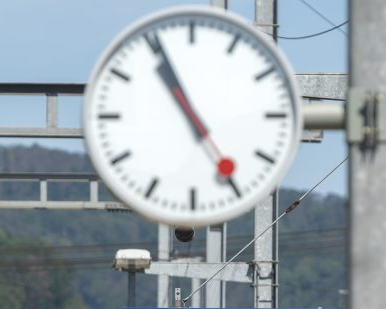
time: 10:55
